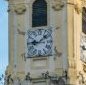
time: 9:08
